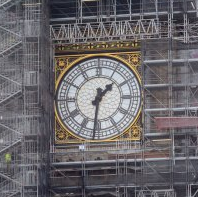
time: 1:31
